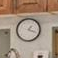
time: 1:18
